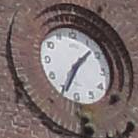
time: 1:34
